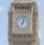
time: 1:02
